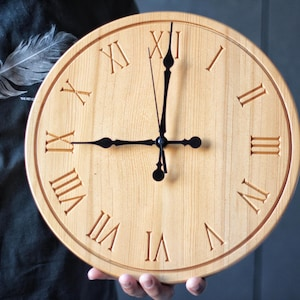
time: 9:00
